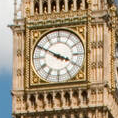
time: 3:50
